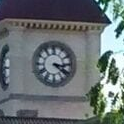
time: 3:21
